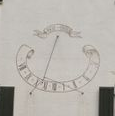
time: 12:32
